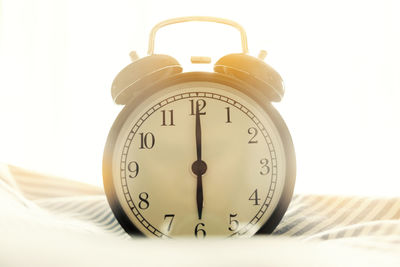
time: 6:00
